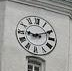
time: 9:10
